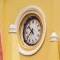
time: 7:52
